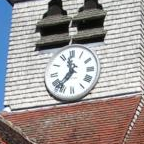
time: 11:36
